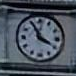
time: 3:55
